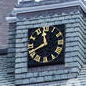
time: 11:40
